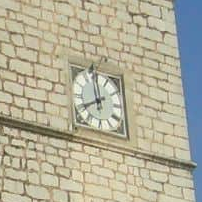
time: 7:58
